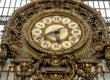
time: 5:40
